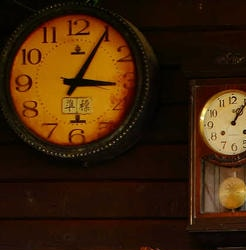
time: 3:05
